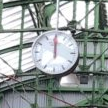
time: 11:59
